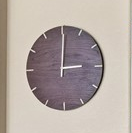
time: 3:00
